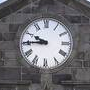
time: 9:45
